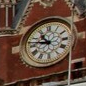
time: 10:46
